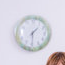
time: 1:29
